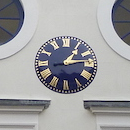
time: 1:13
